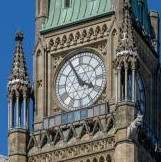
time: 3:55
